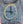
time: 11:46
